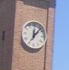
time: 12:07
